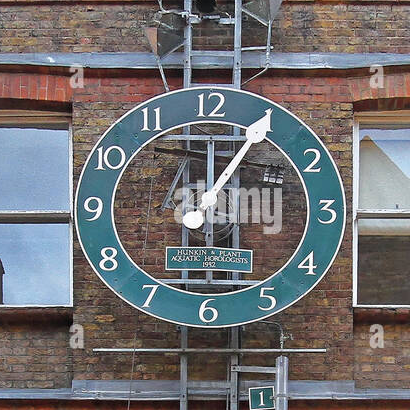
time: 1:05
